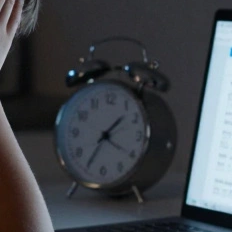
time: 1:35
